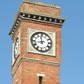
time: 11:42
